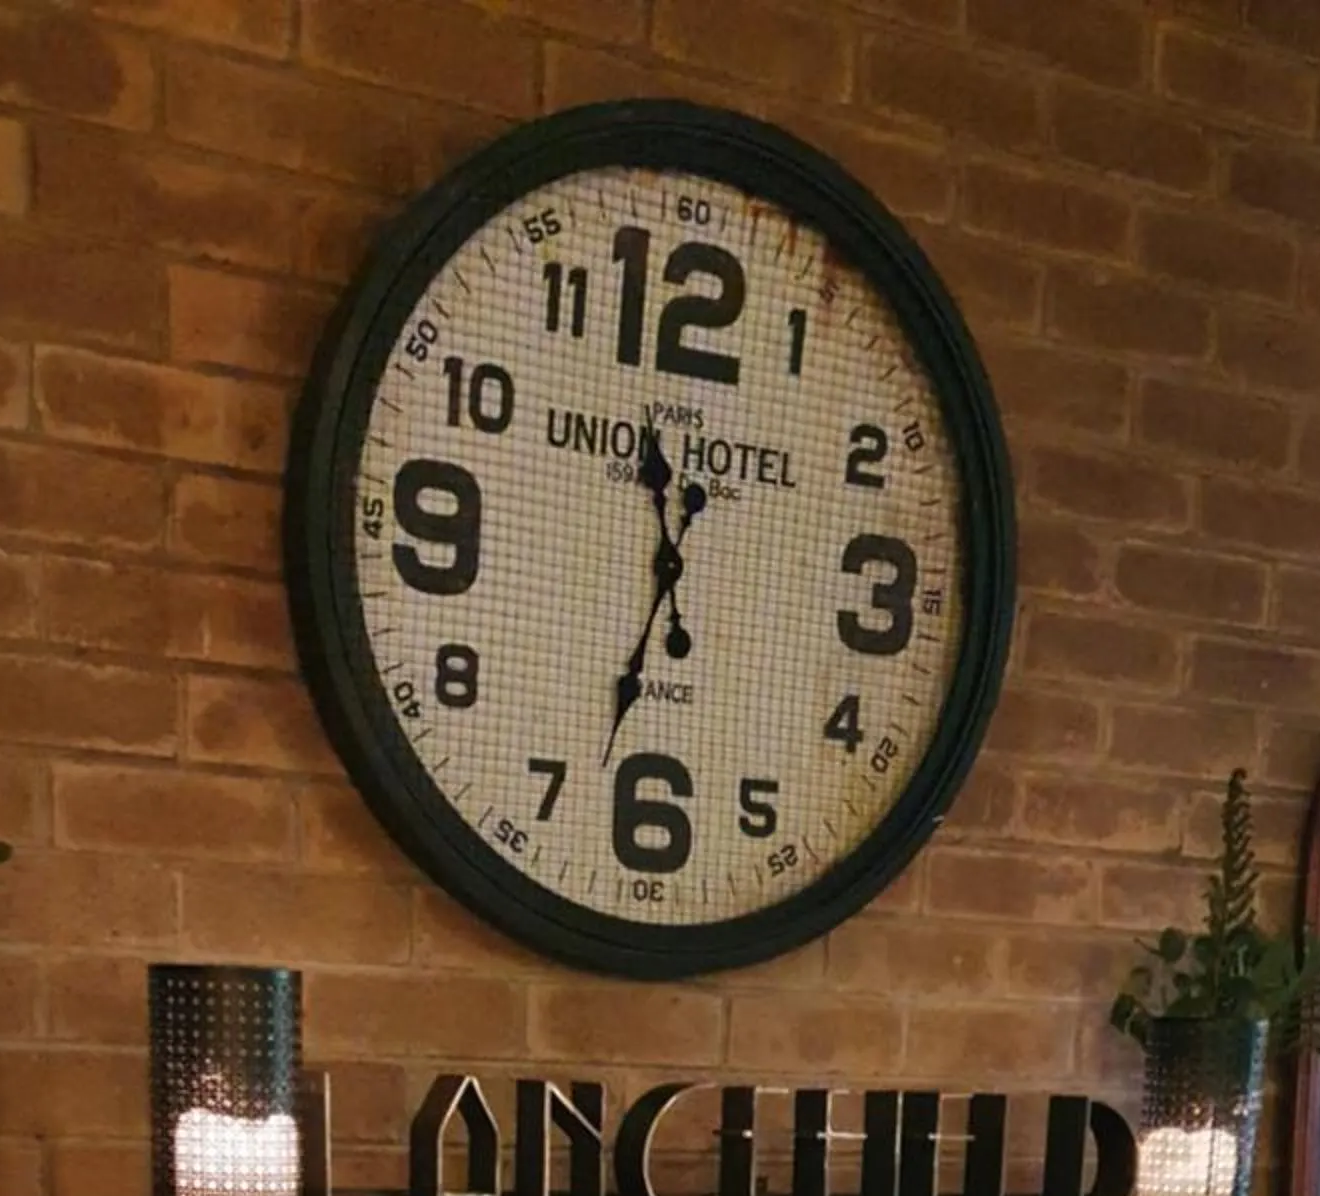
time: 11:32
